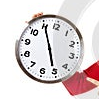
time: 4:55
